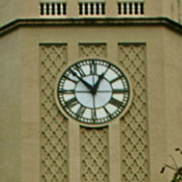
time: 12:52
